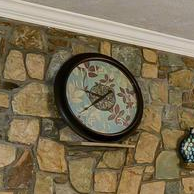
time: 9:39
